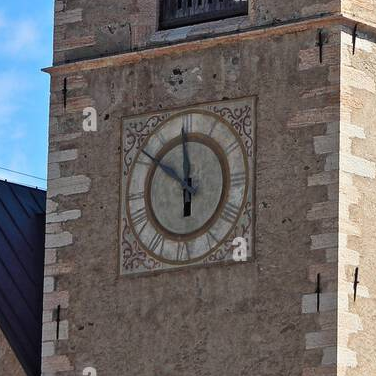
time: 5:59
